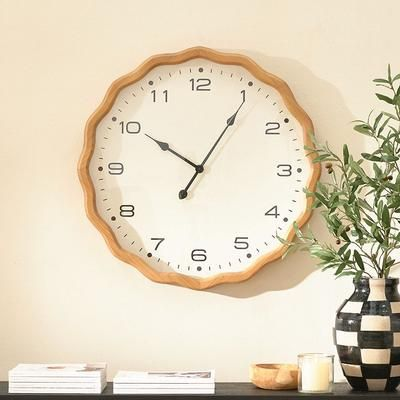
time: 10:05
